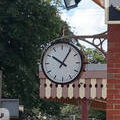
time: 10:05
